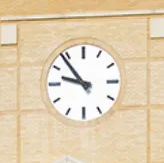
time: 9:53
